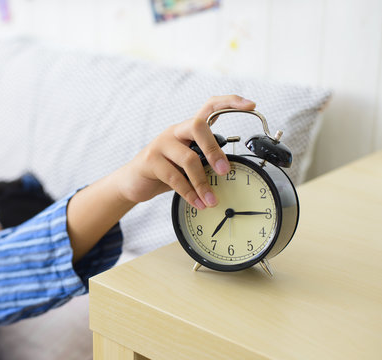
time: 7:15
